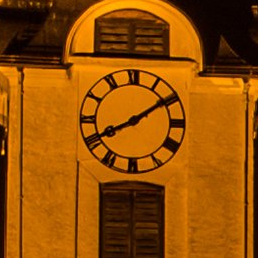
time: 8:09
